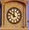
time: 11:50
